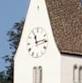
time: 11:13
